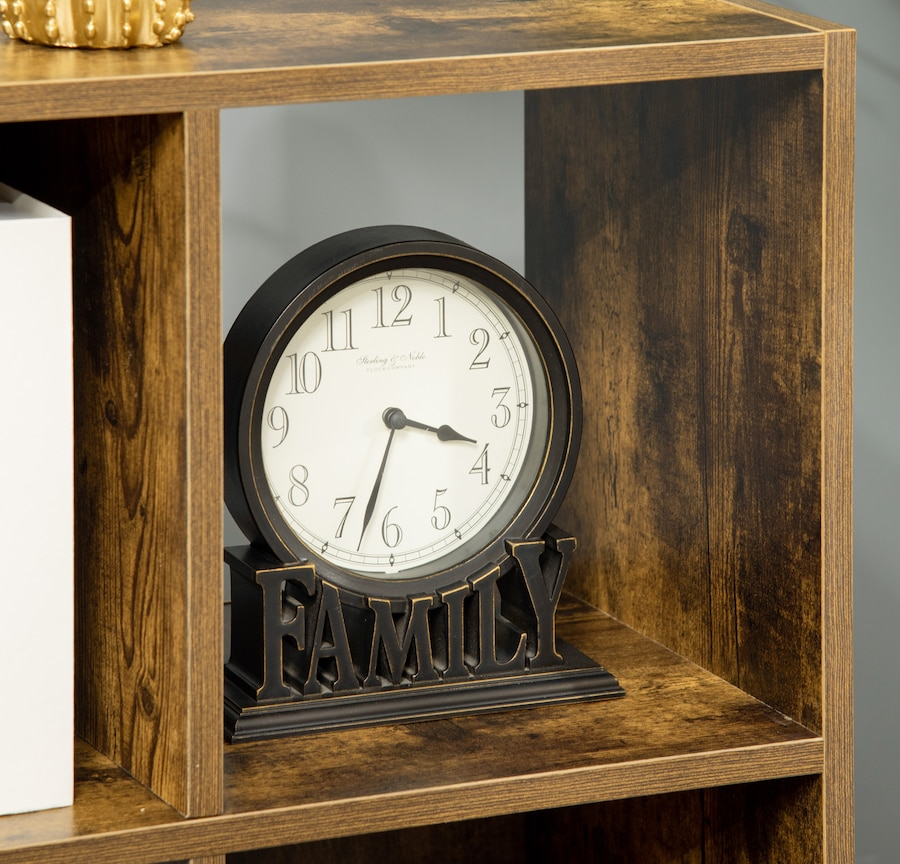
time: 3:32
